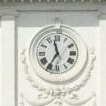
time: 11:35
